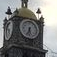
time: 5:33
